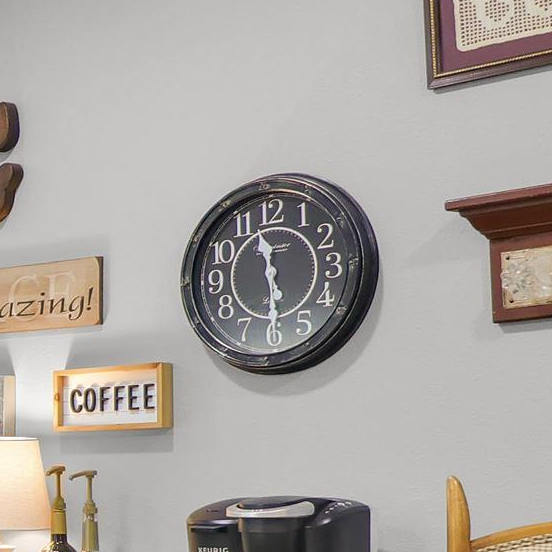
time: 11:29
